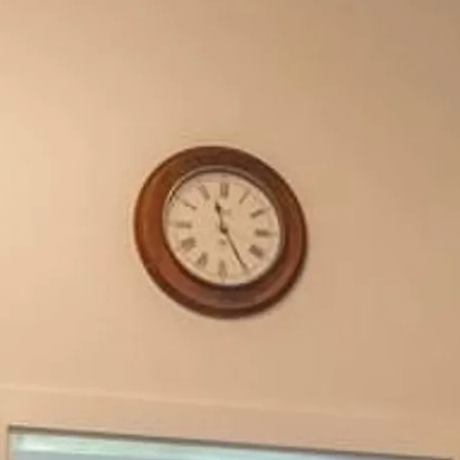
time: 11:24
